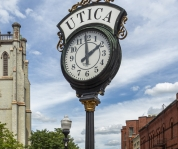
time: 1:59
